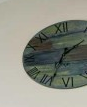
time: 1:33
